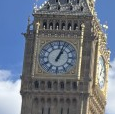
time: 1:03
